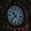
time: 10:37
